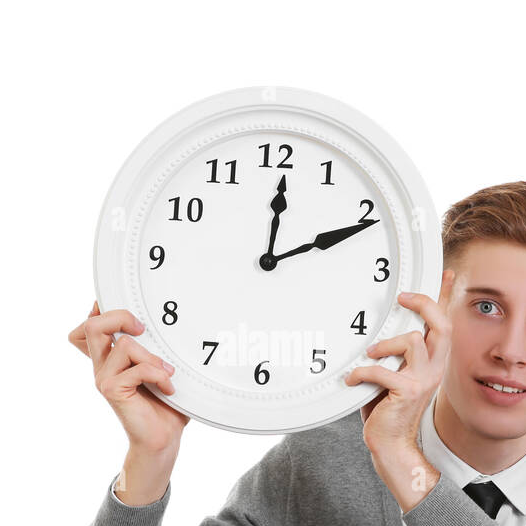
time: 12:11
